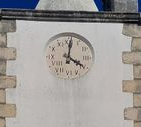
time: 4:01
